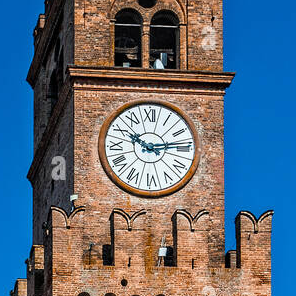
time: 10:13
